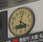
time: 4:02
